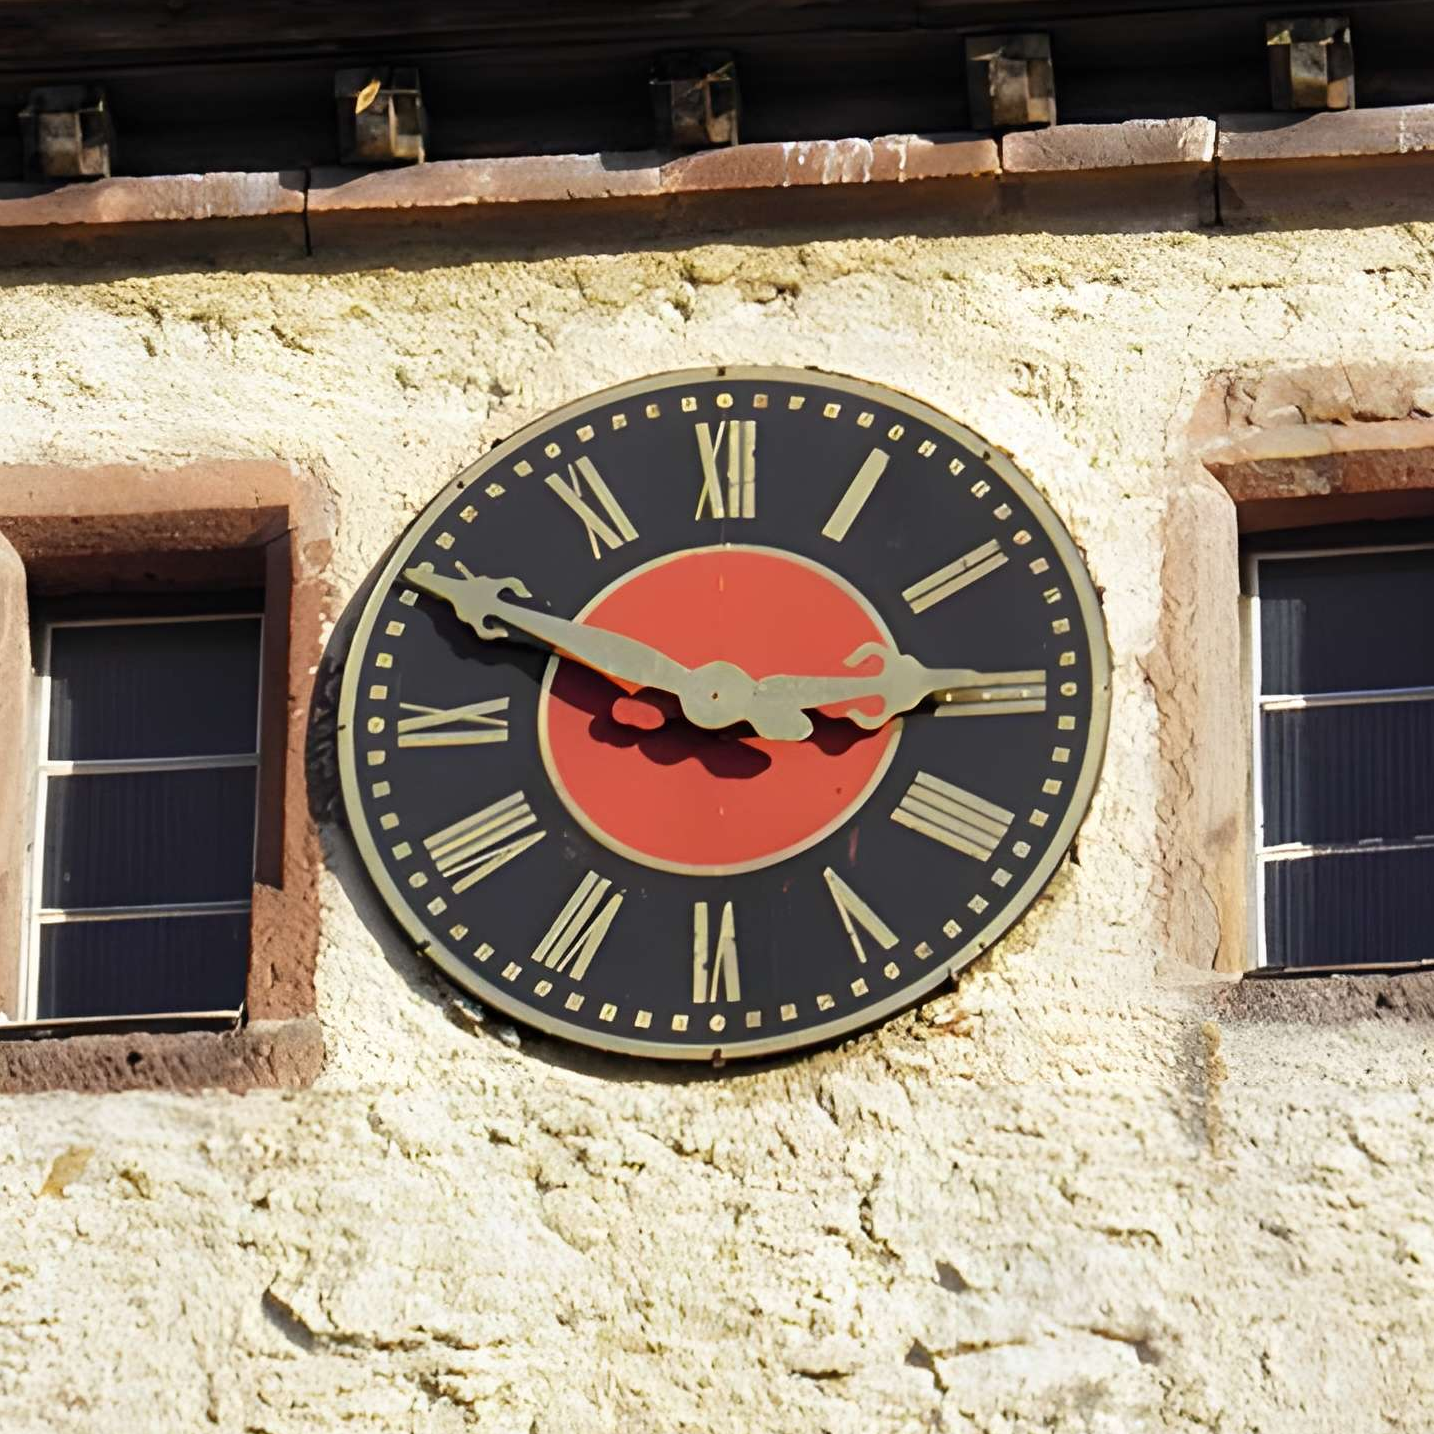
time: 2:49
